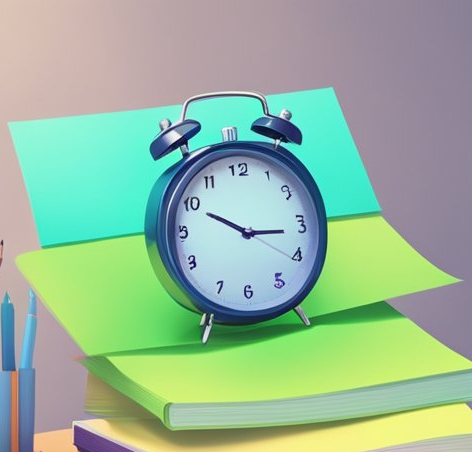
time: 10:16
